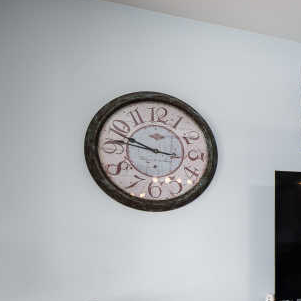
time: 9:46
